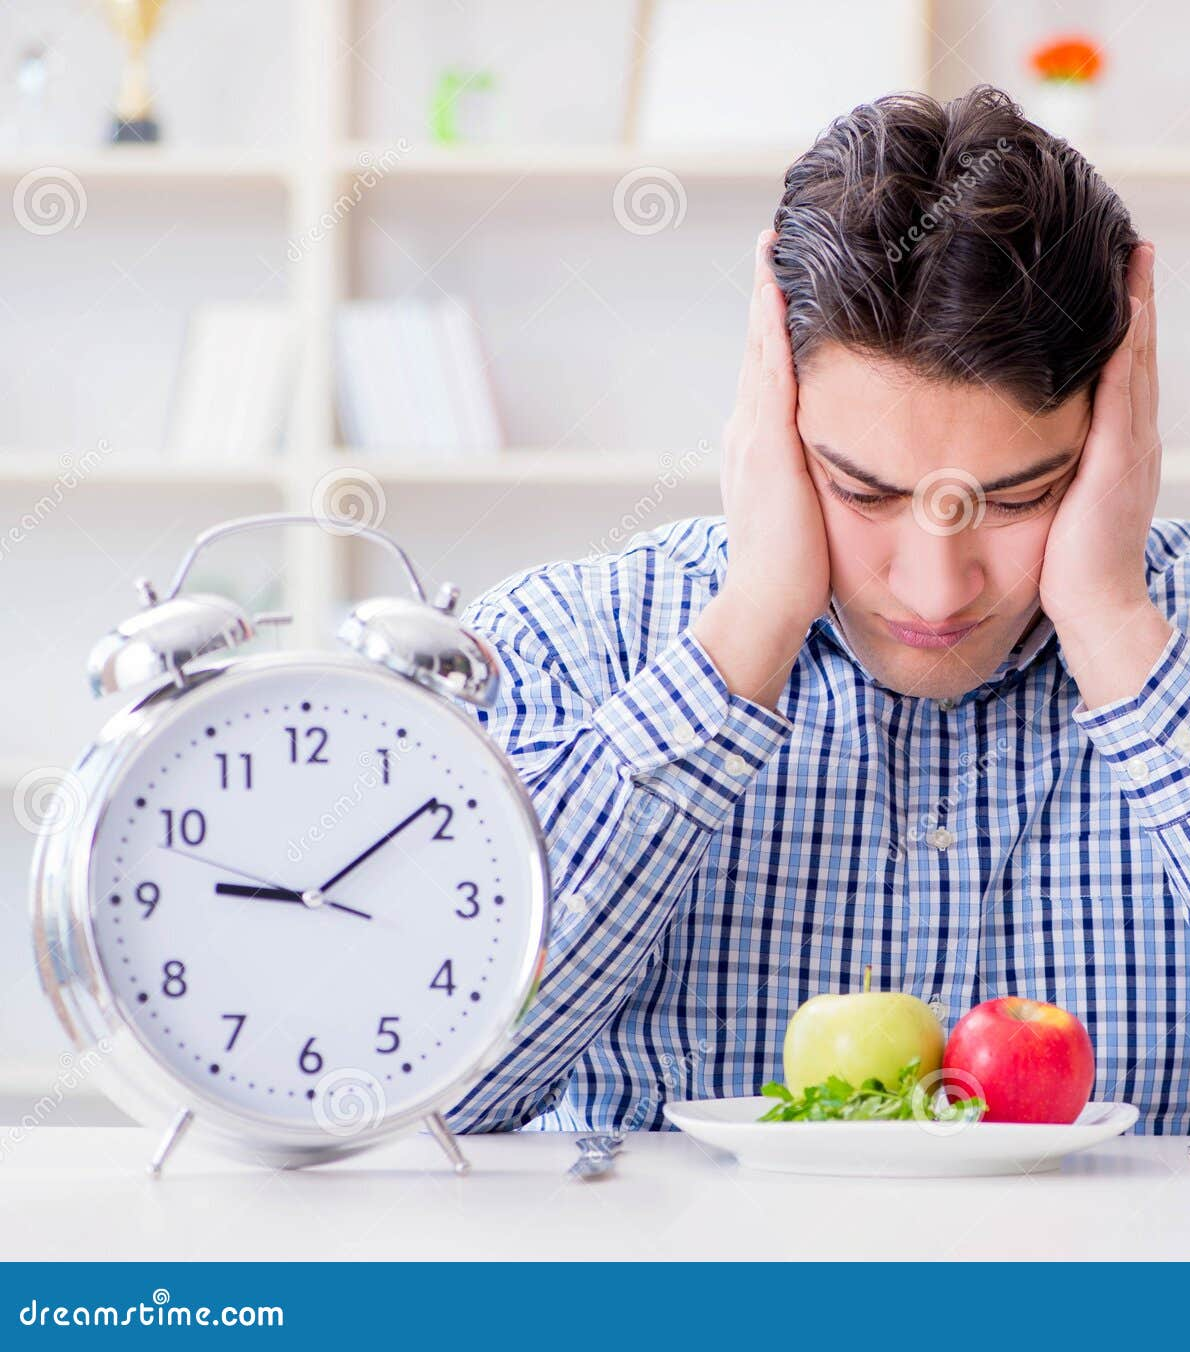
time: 9:09
